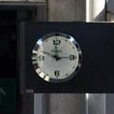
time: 11:48
